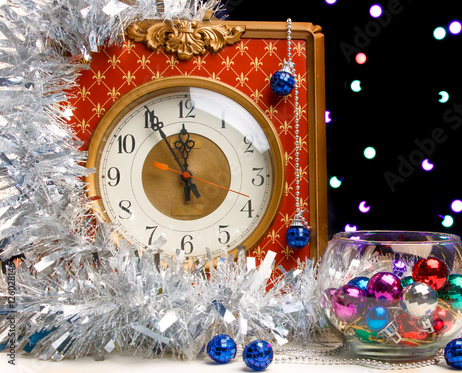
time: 11:55
